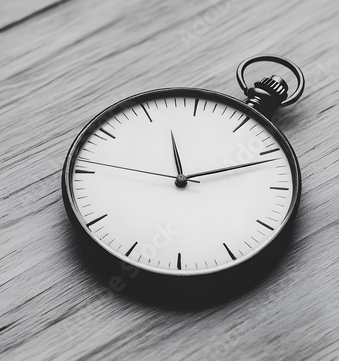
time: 11:11
